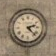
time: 2:22
